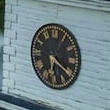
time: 6:20
